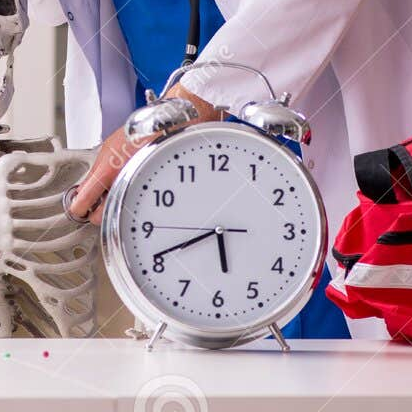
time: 5:41
